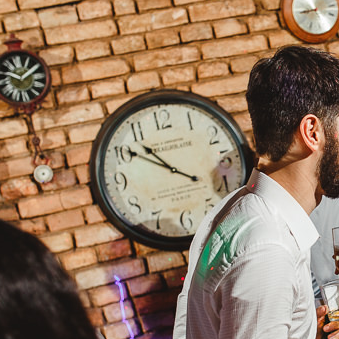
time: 10:50
